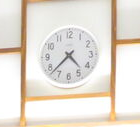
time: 4:37
